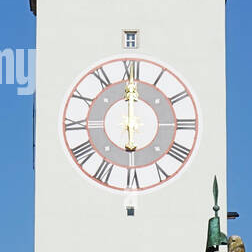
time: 6:00
